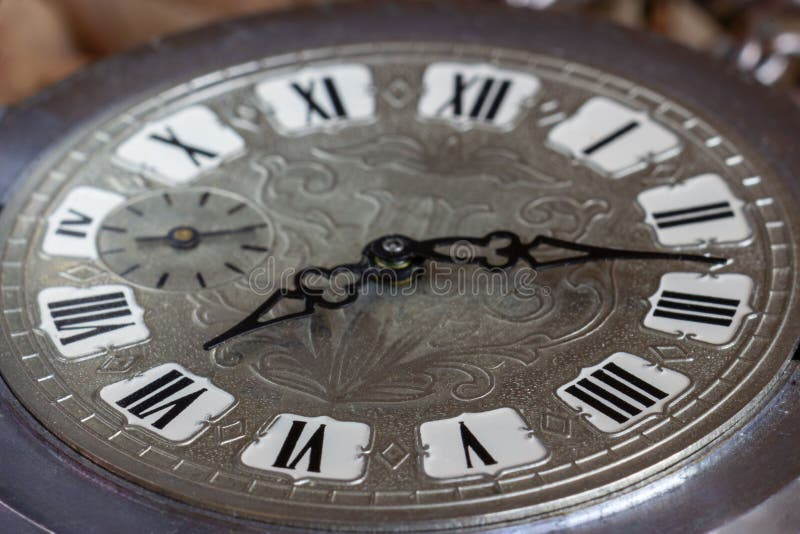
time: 7:12
